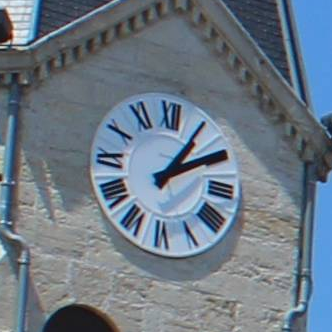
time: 1:09
